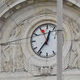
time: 12:36
